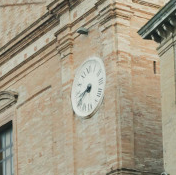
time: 8:40
